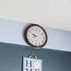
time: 8:49
